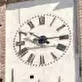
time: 10:14
